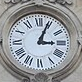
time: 3:04
